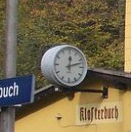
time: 12:12
